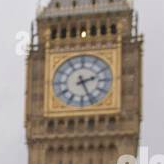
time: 2:26
